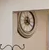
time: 12:20
